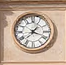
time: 1:18
